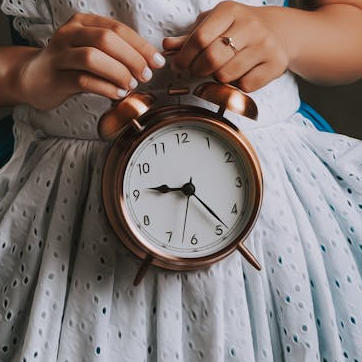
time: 9:23
